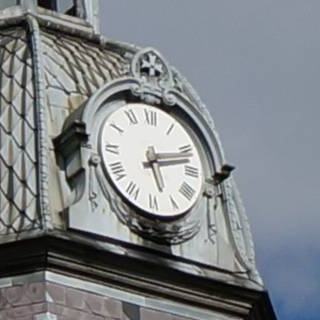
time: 5:12
